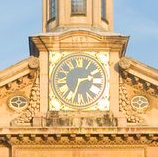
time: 2:33
